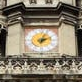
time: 2:03
